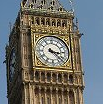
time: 3:22
